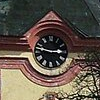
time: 2:47
